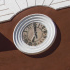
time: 7:00
